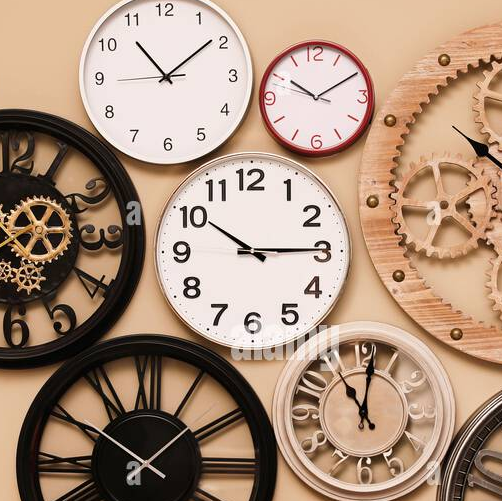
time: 10:14
